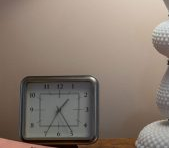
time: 1:24
